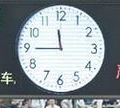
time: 11:44
